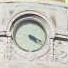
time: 4:18
